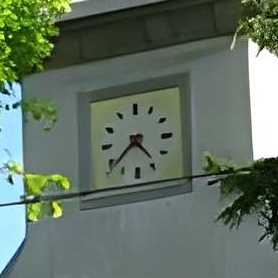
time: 4:38
